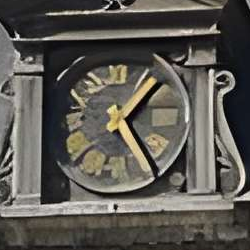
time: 1:24
